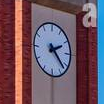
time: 2:22
